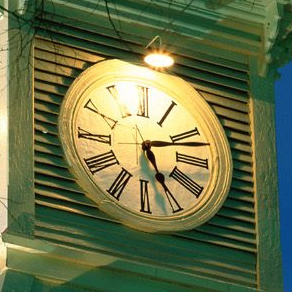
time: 5:11
